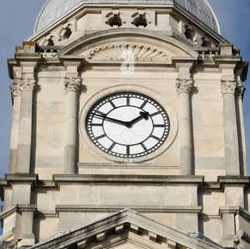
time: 1:47
